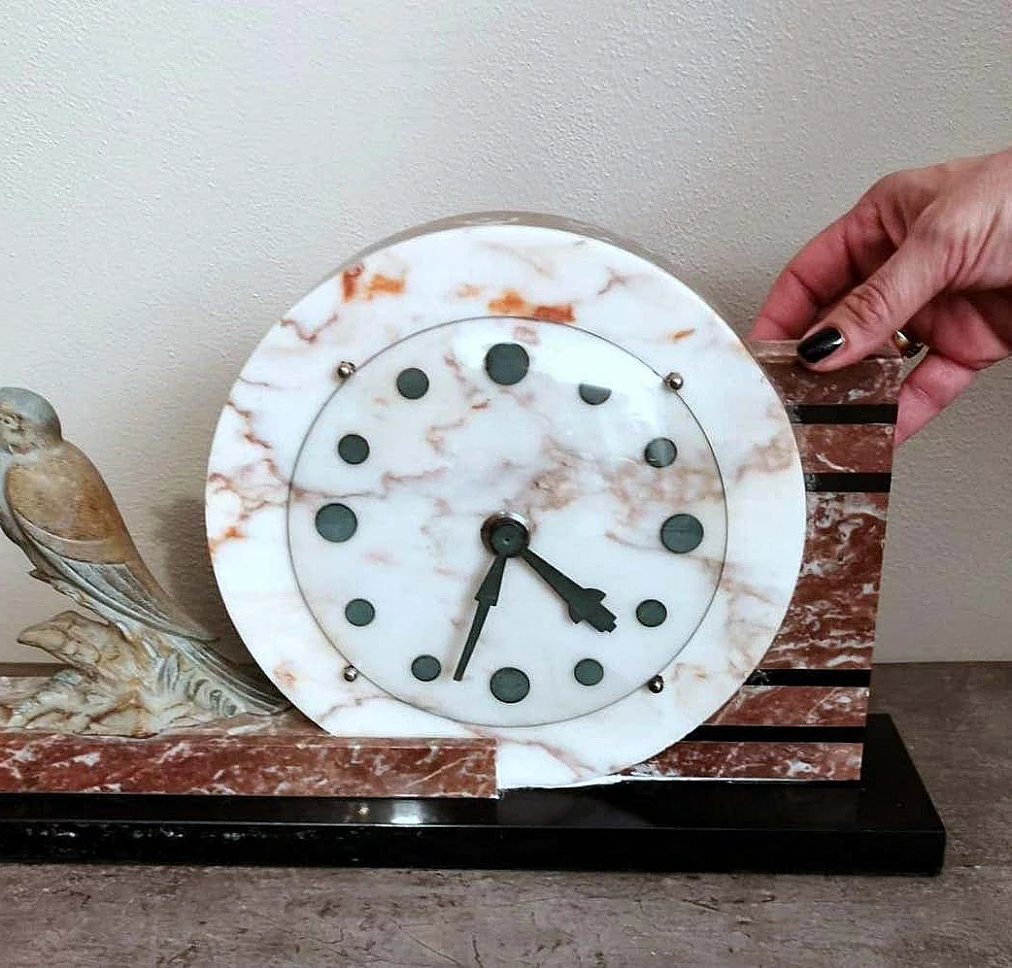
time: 4:33
